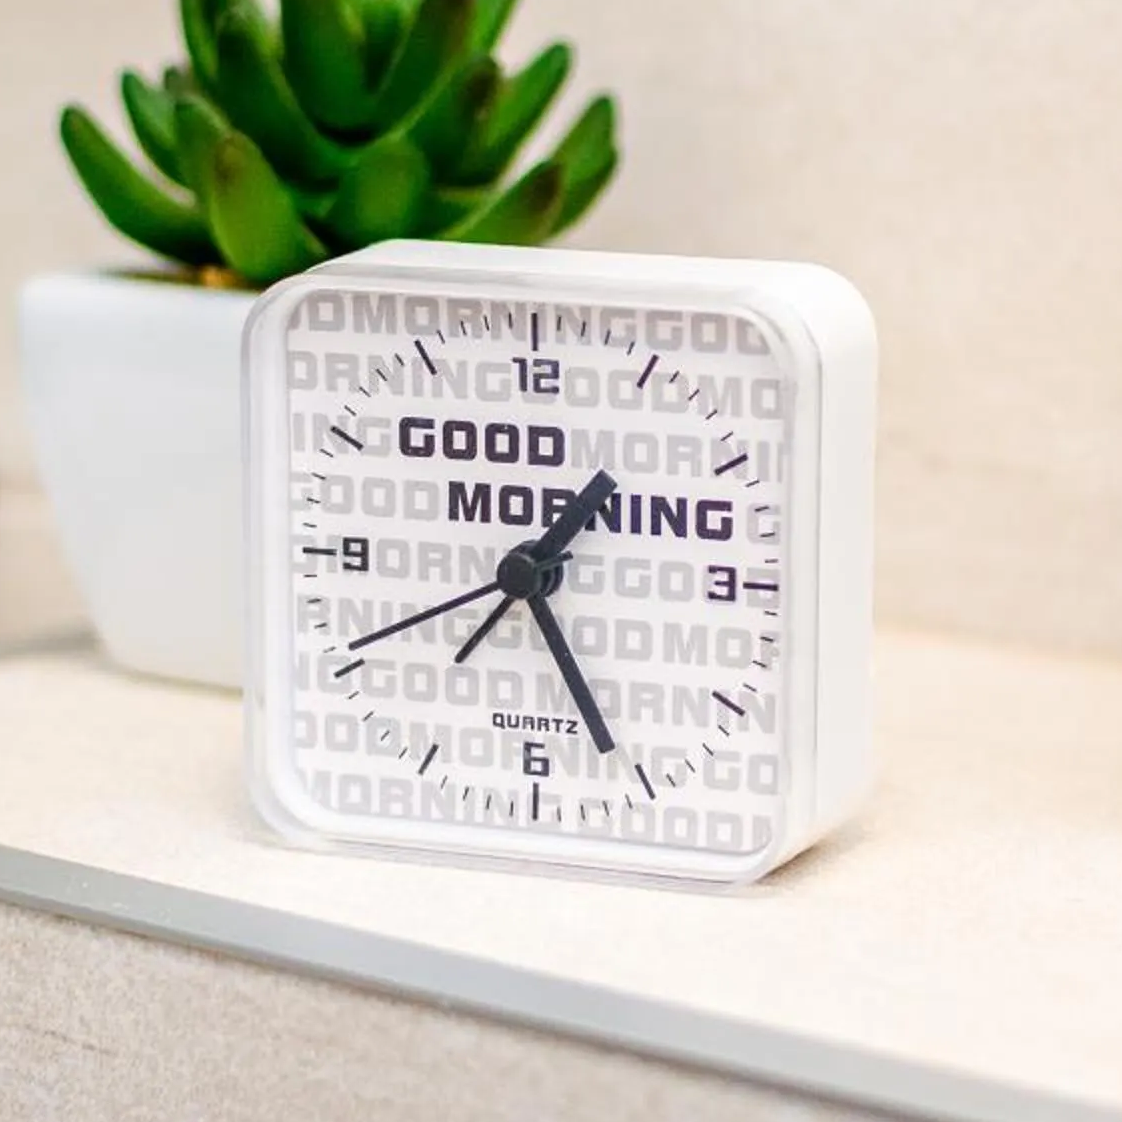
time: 1:25
